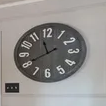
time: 11:40
